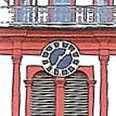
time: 1:35
